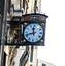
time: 11:42
